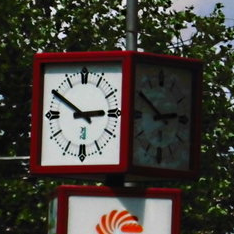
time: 2:50
